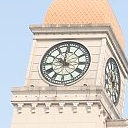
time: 11:49
